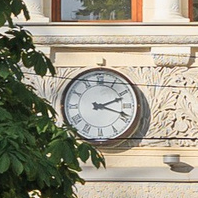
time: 2:18
